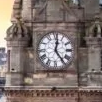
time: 12:23
